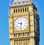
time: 9:31
